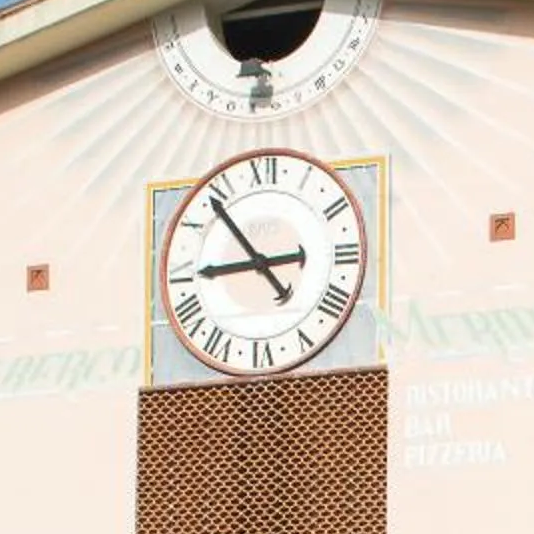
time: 8:53
